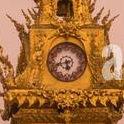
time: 5:42
